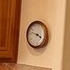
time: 3:47
